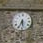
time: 5:34
